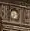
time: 7:12
